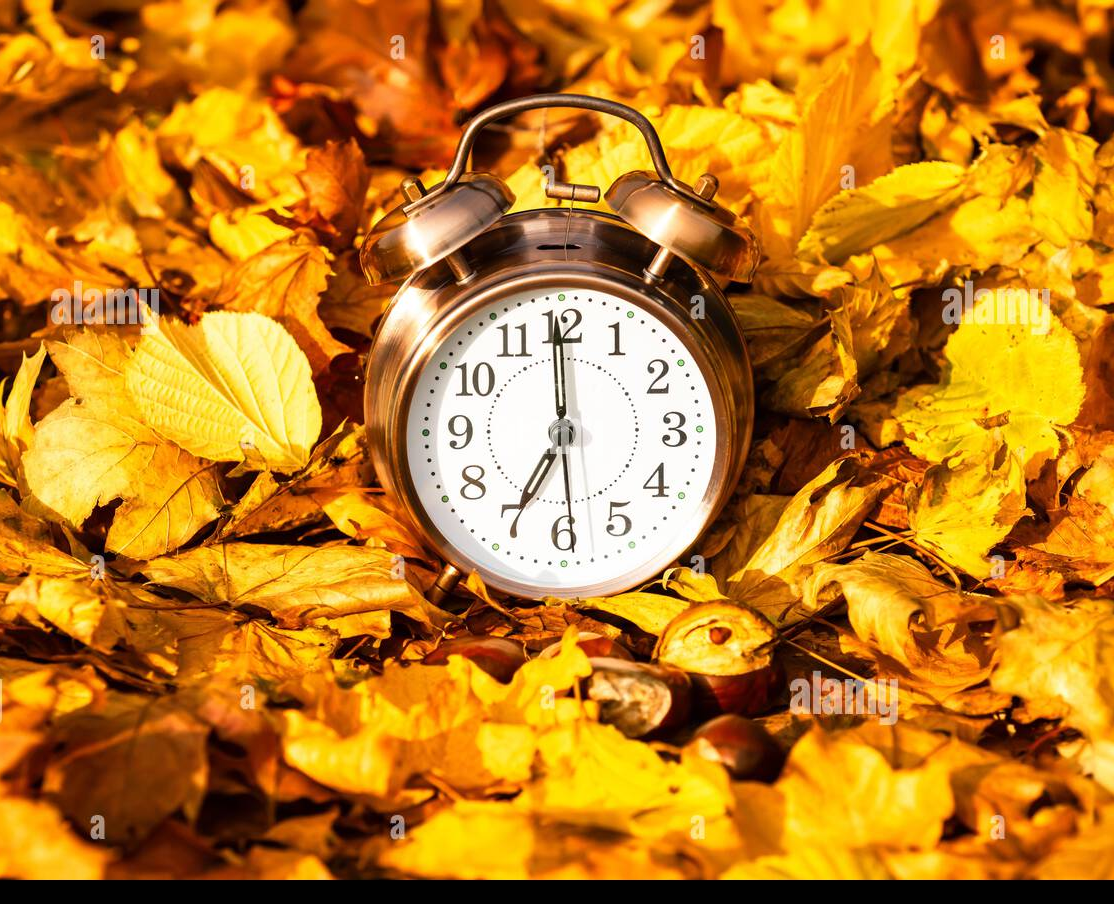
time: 6:59
